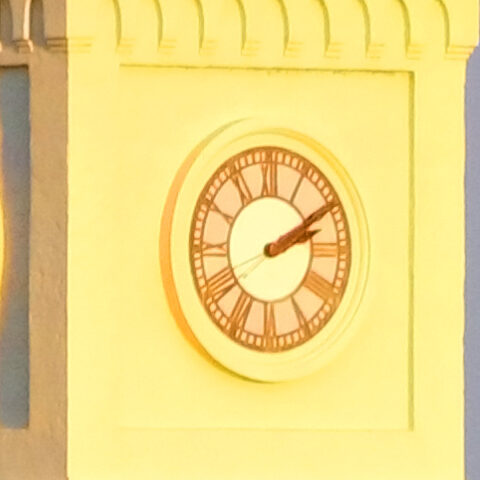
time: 2:09
